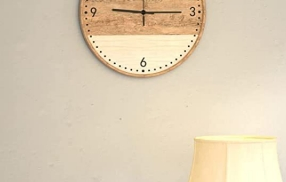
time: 9:14
